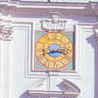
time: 8:16
